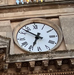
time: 6:52
